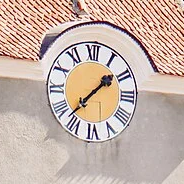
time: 1:37
